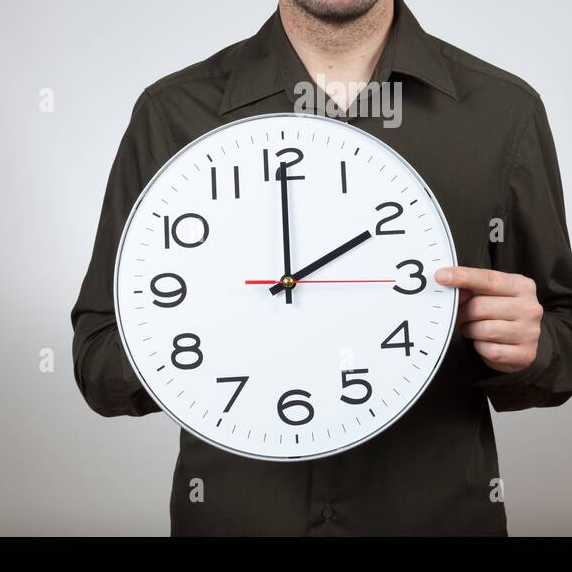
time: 2:00
